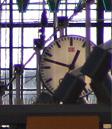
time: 12:47
